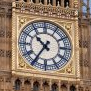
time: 10:35
